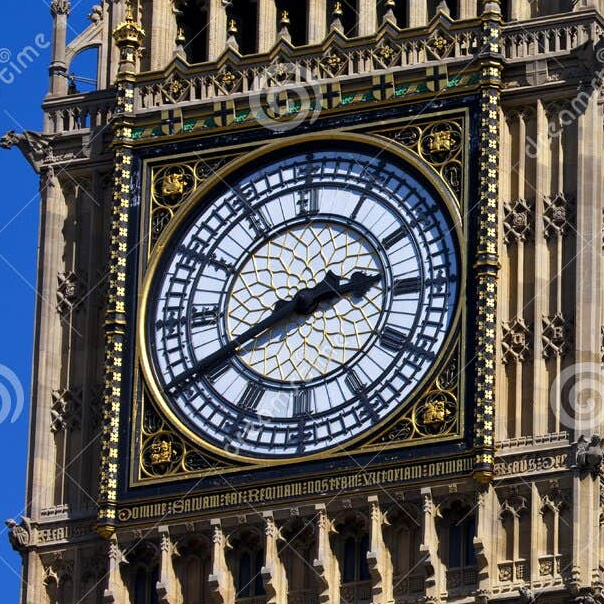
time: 2:40
